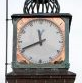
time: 11:41
